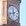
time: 11:42
